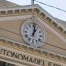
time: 1:01
